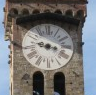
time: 9:16
